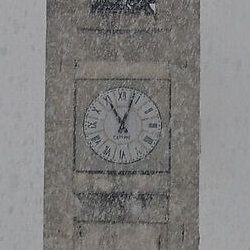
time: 11:03
